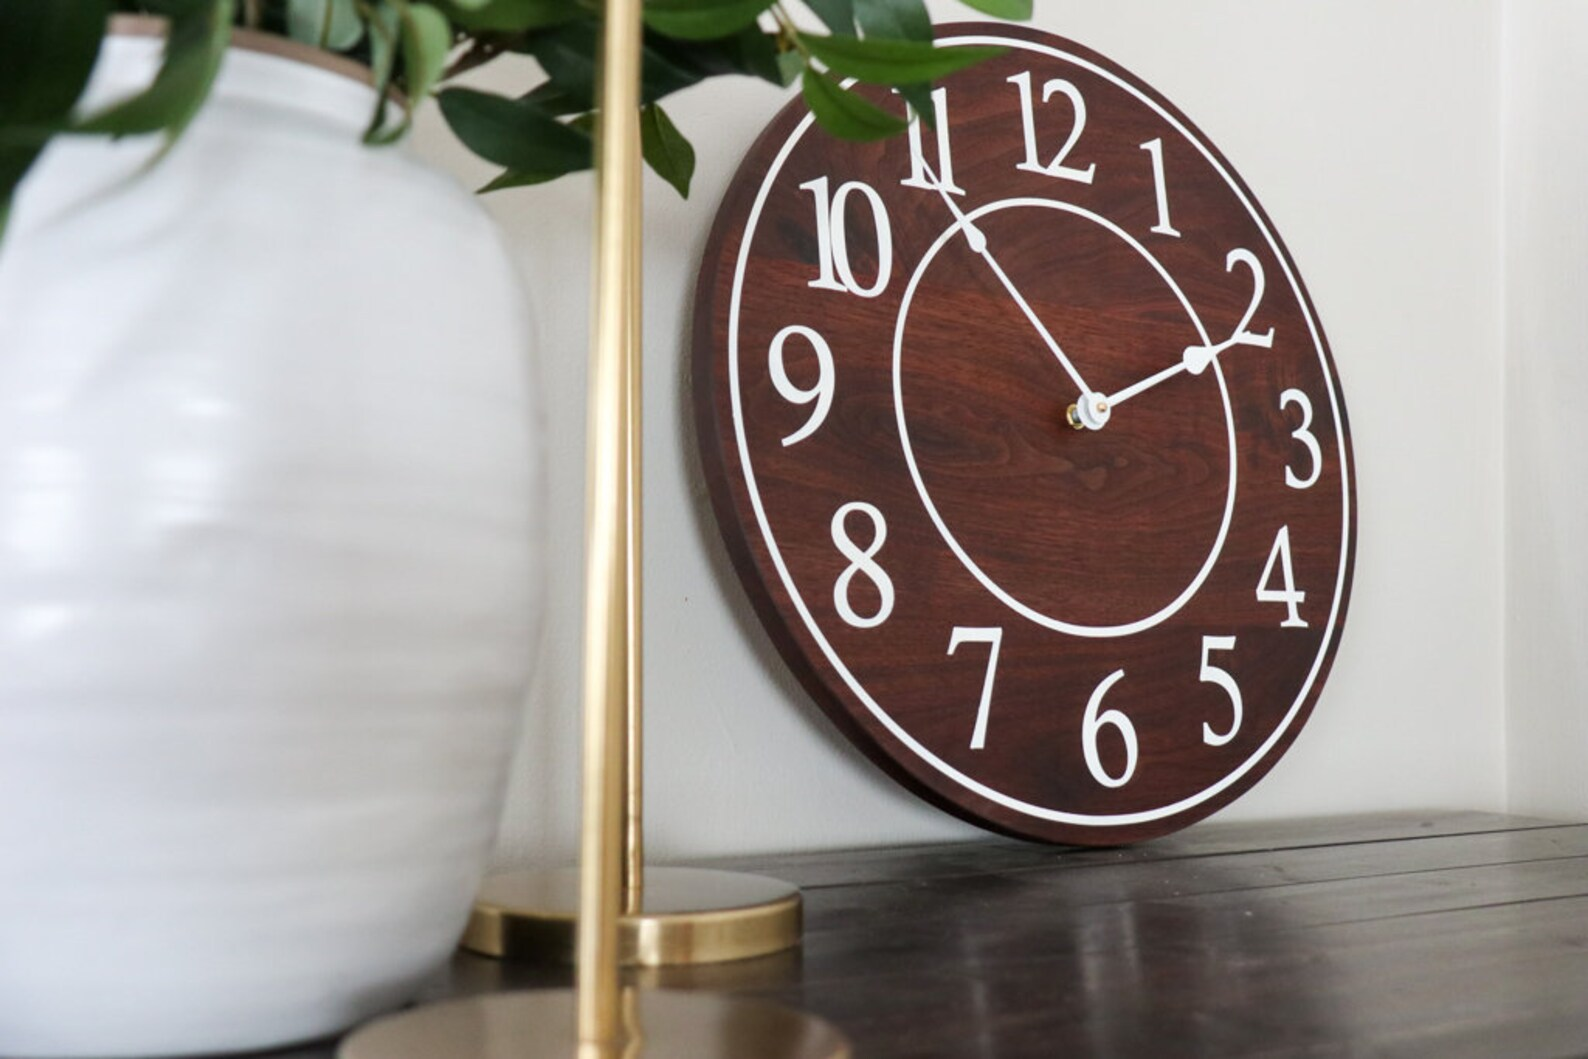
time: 2:11
